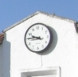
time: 9:45
